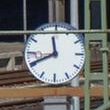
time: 11:40
